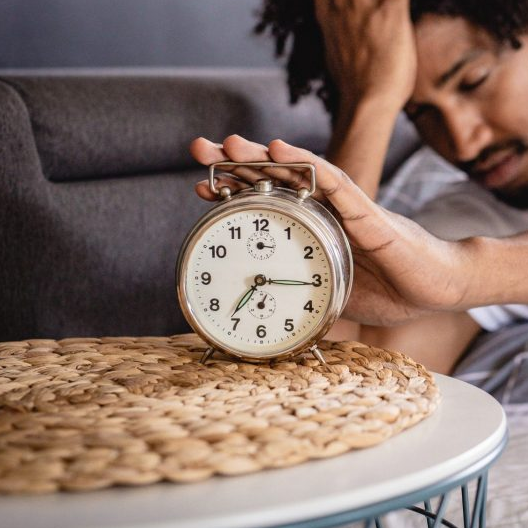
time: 7:15
